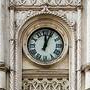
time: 12:04
